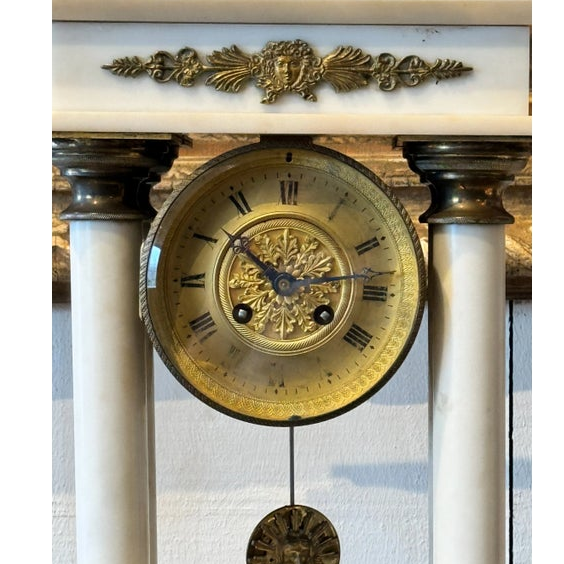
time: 10:13
